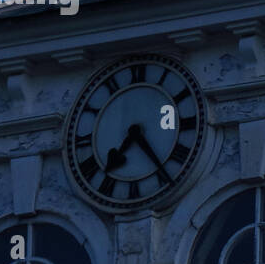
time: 7:23
